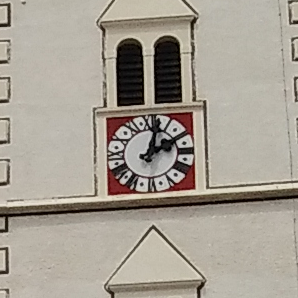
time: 2:02
